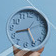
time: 8:24
